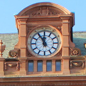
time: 11:55
